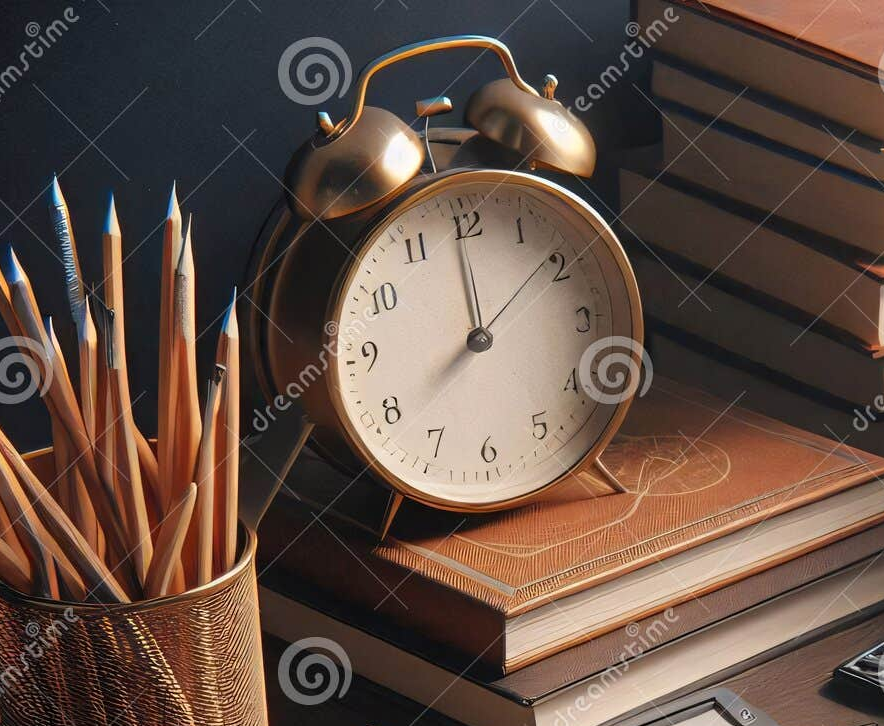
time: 7:59
